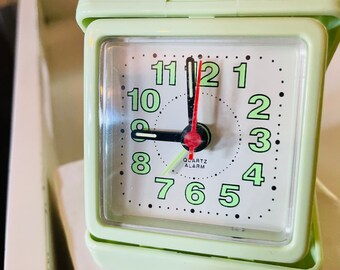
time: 11:45
